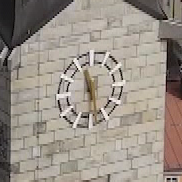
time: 11:28
